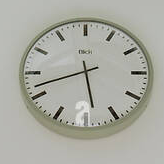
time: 5:42
